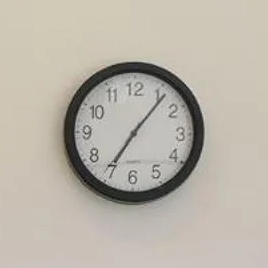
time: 7:06
